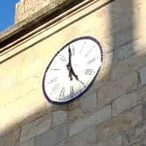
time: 4:59
